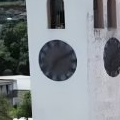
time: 7:10
